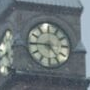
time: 4:45
